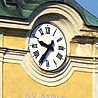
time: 9:36
